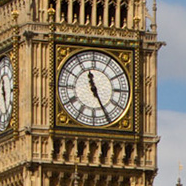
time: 11:25
